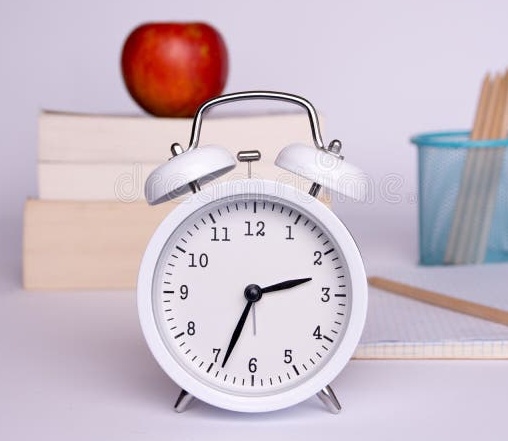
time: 2:33
